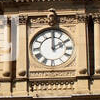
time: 2:00
